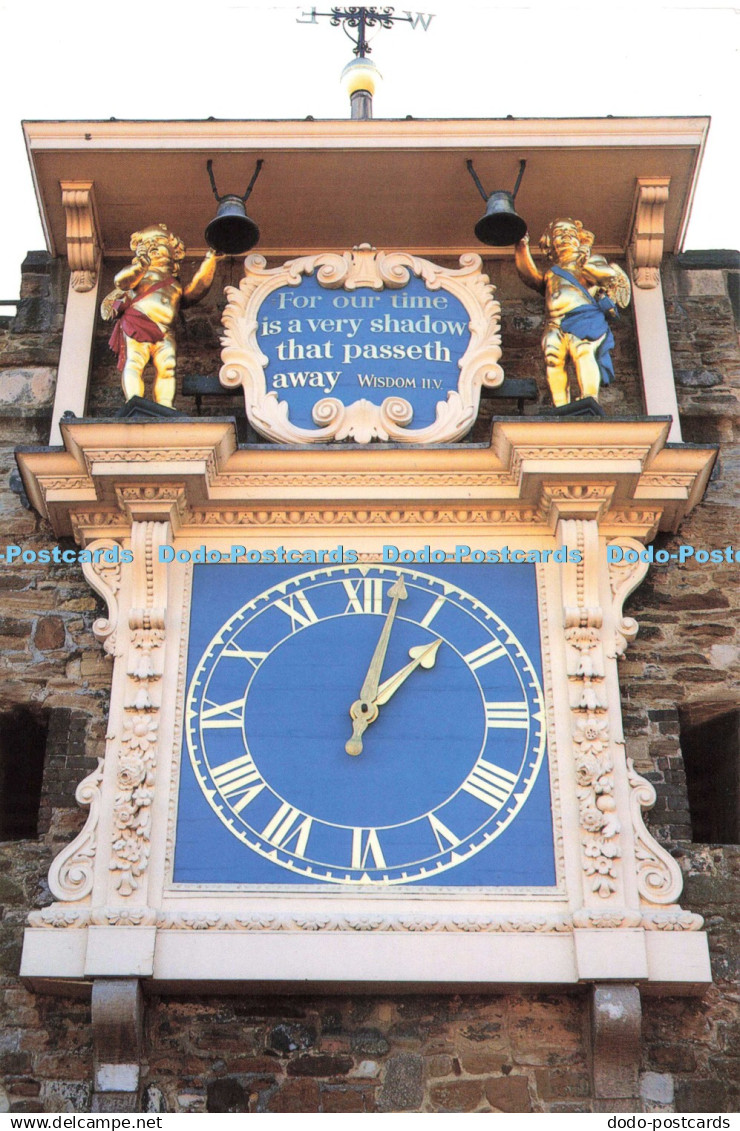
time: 1:02
